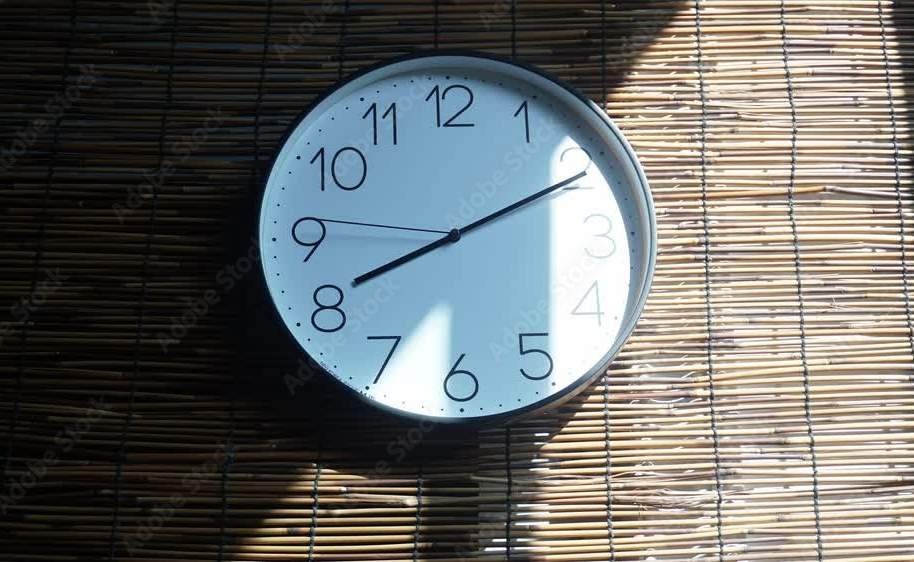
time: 8:10
